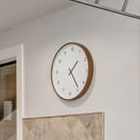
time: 1:23
